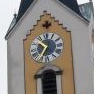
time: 10:34
